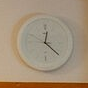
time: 12:22
